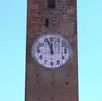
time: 11:56
